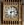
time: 2:32
